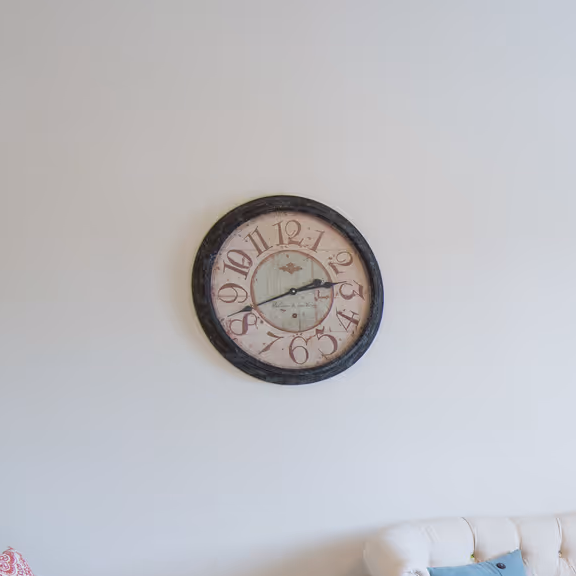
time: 2:41
